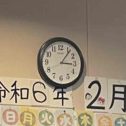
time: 3:06
